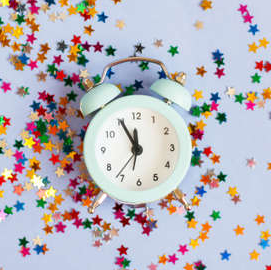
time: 11:55
